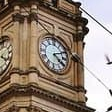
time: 4:10
